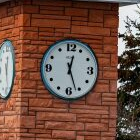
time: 12:26
